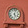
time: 5:03
